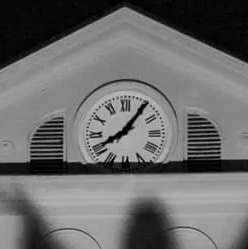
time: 8:06
